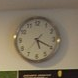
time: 5:19
